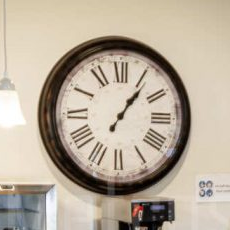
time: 1:06
